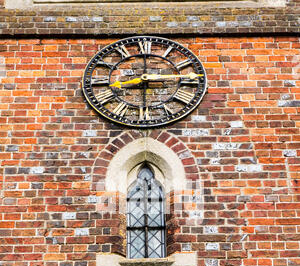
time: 8:14
